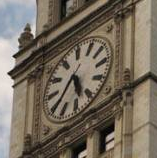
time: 5:38
